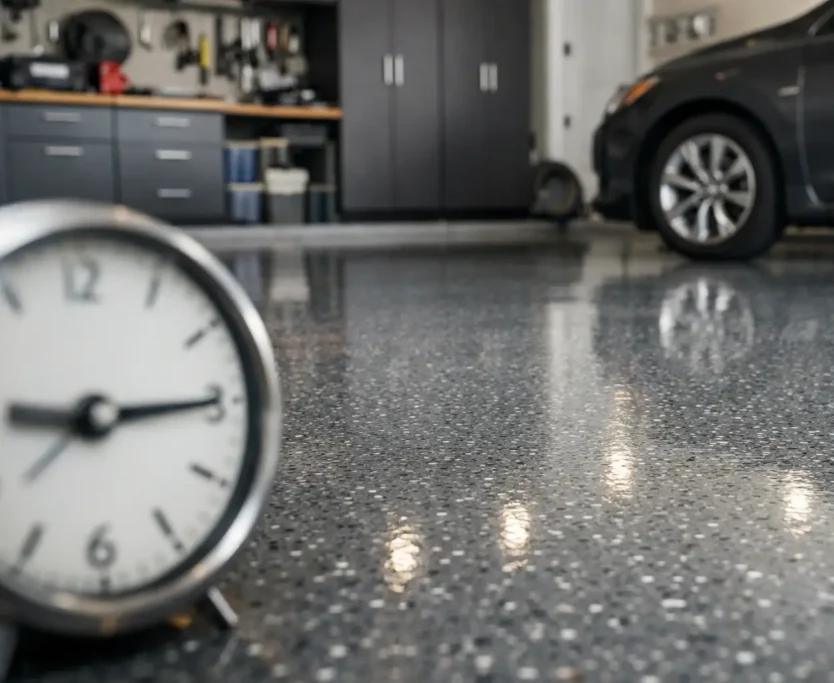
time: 9:14
